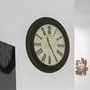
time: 11:24
